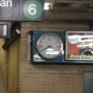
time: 3:40
